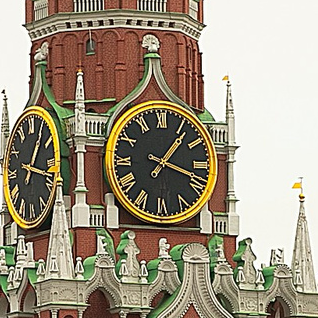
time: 1:18
